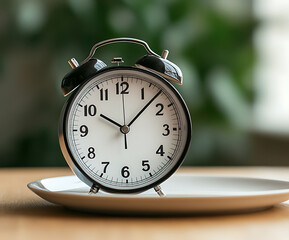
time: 10:07
